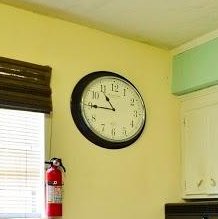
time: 10:45
